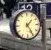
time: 1:24
